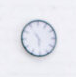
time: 5:54
